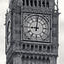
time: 9:01
